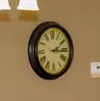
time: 2:15
